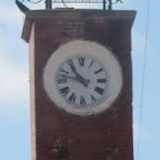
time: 10:47
